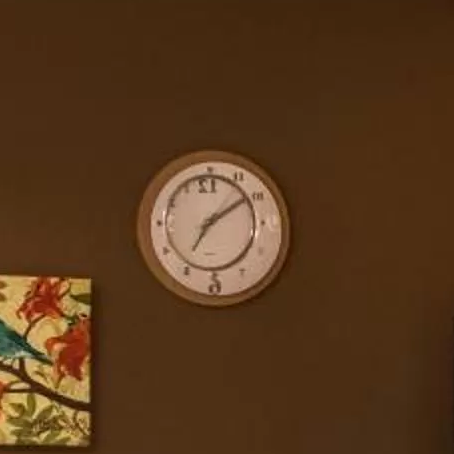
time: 7:09
